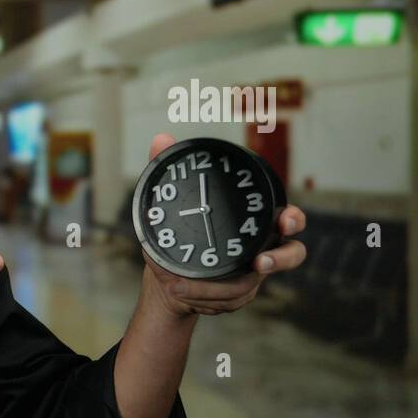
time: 9:00
